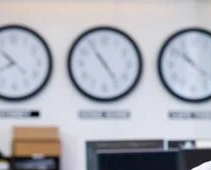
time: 4:54
